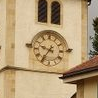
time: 9:36
